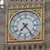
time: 7:24
